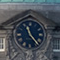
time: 11:23
